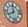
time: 7:59
